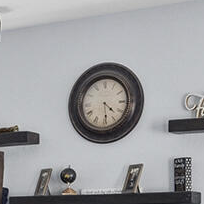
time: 4:29
